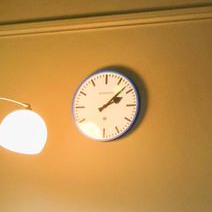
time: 2:07
